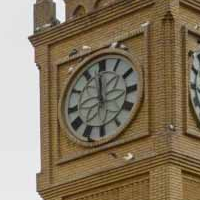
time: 11:59
